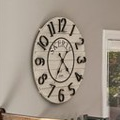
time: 4:35
